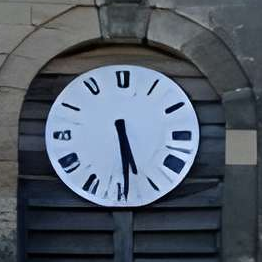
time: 5:29
